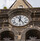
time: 12:23
